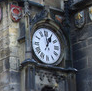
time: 12:58
